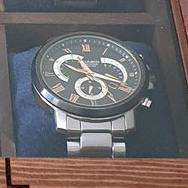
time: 11:18
